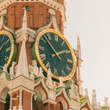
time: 1:52
